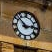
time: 2:52
